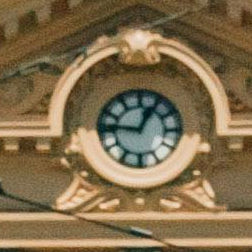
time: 12:46
